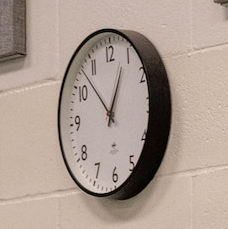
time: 12:52
